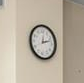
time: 12:12
